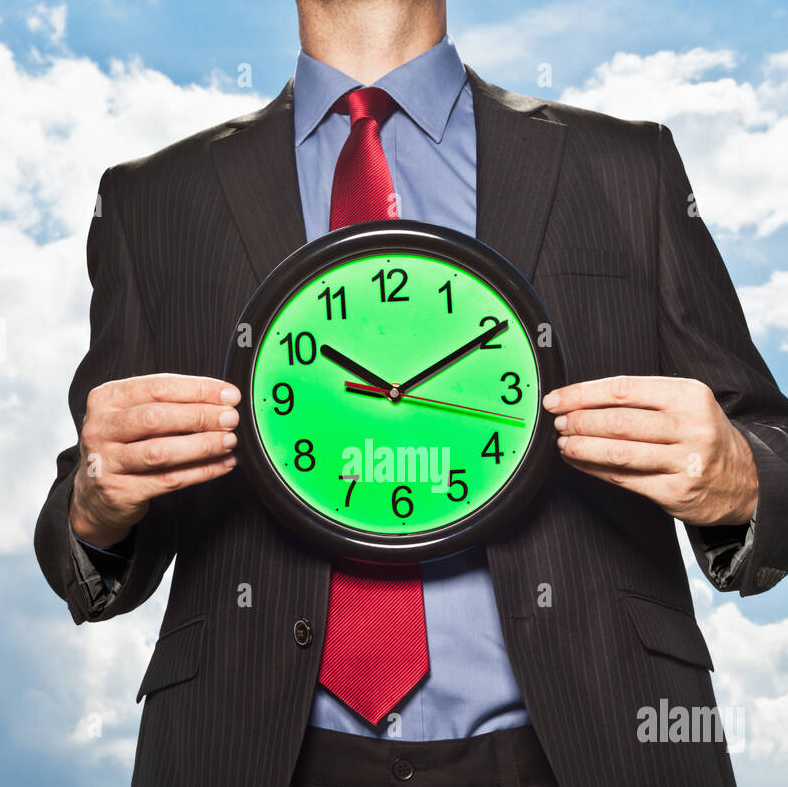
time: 10:10
